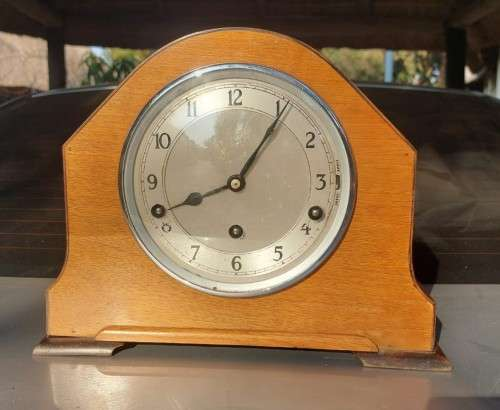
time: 8:05
